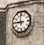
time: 8:58
